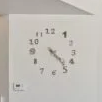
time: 4:23
